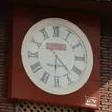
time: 6:22
